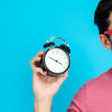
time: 3:48
